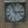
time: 2:56
